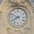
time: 7:48
